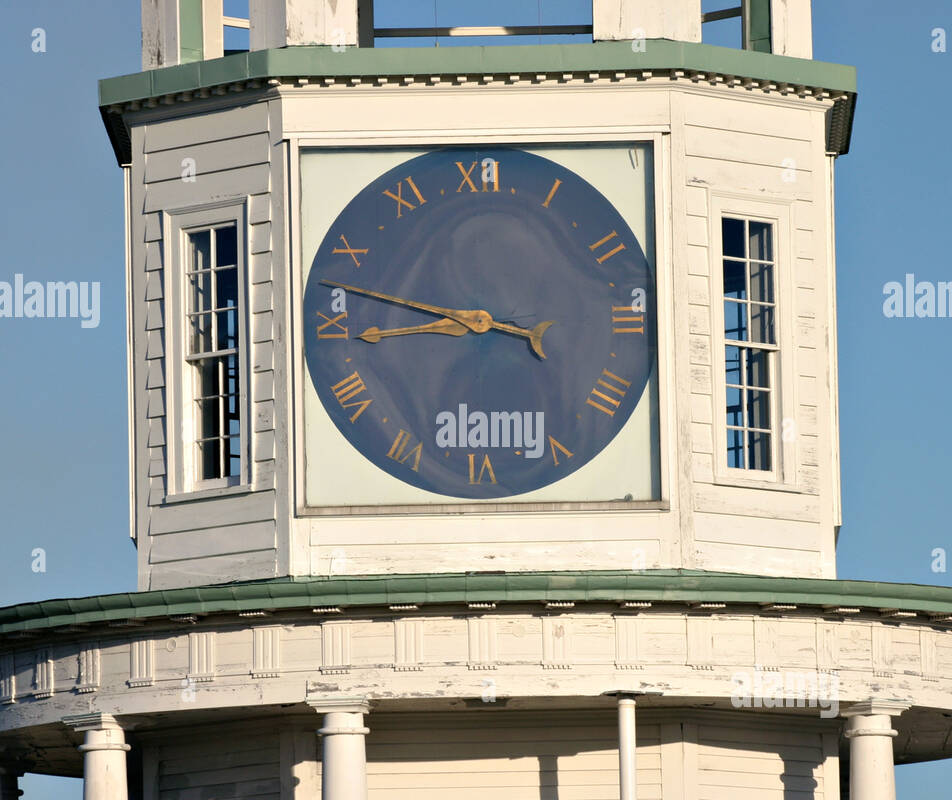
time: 8:47
